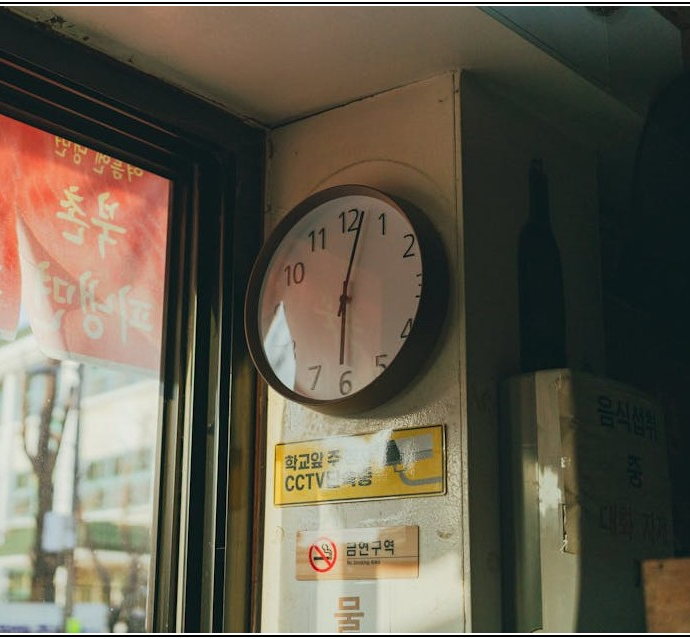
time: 6:02
